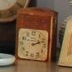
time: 2:11
